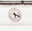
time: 5:18
